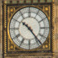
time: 10:23
